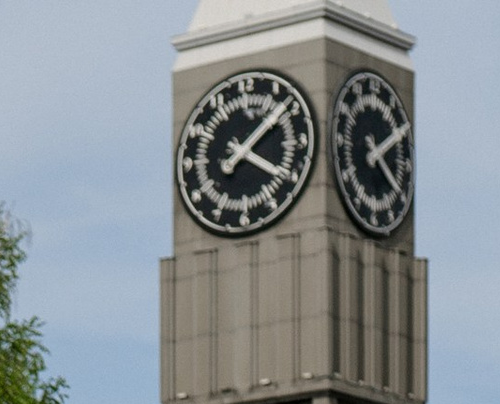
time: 4:08
